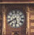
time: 5:40
